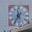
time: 11:35
